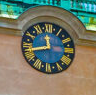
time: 11:43
